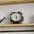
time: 5:12
